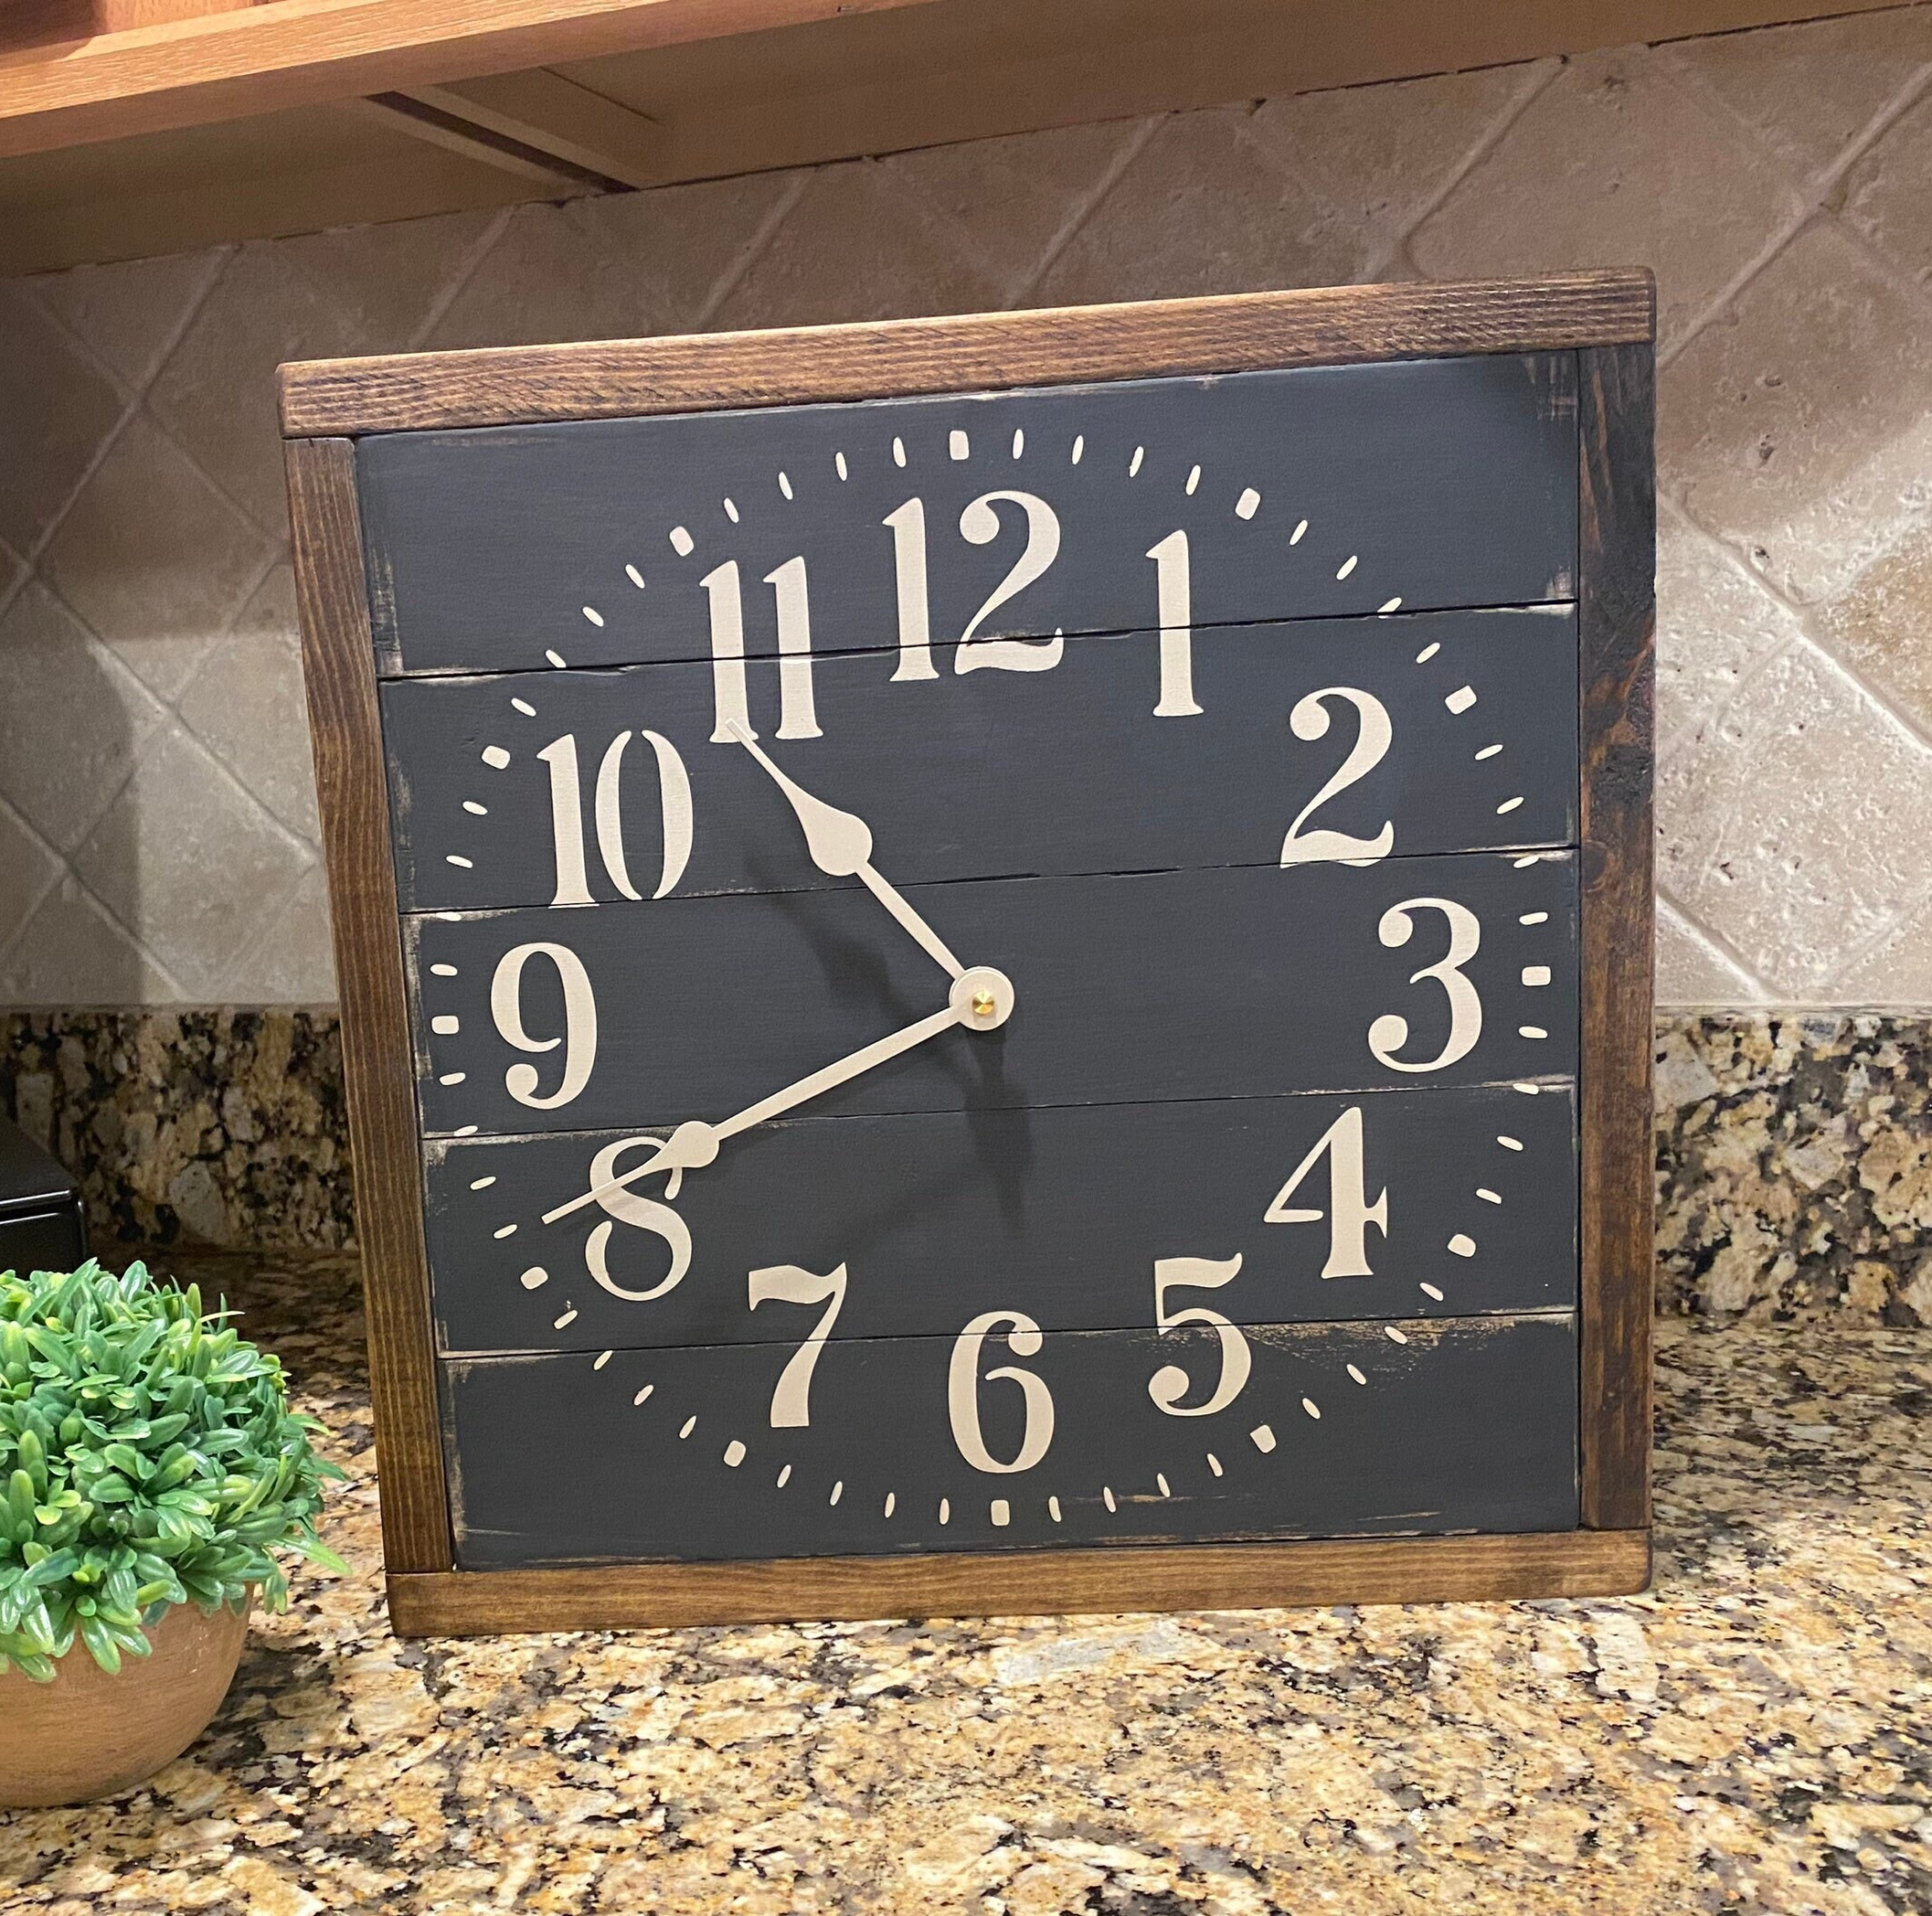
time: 10:40
